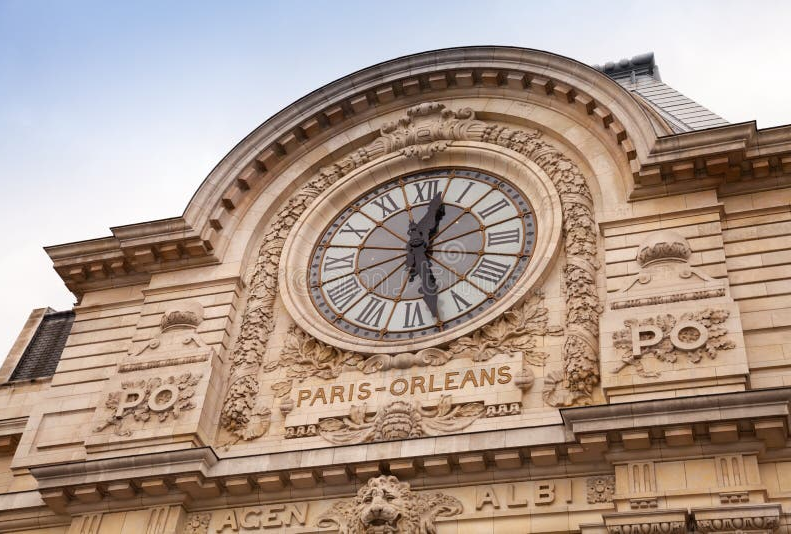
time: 12:27
